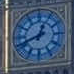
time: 12:42
